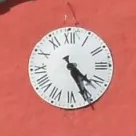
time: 4:26
